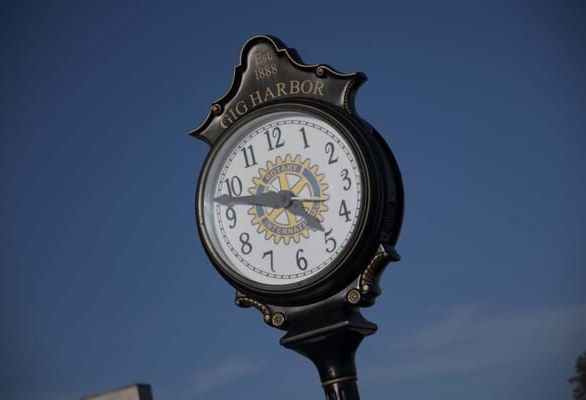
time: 4:47
